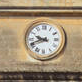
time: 9:41
